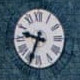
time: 9:33
